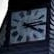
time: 4:13
